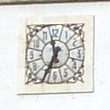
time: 11:35
